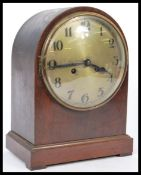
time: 3:44
